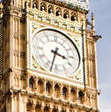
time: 3:32
